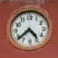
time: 4:38
